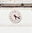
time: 5:18
